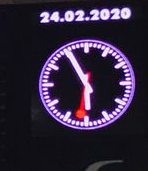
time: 5:55
